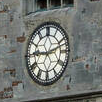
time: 9:12
